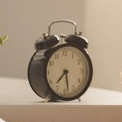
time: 7:28
